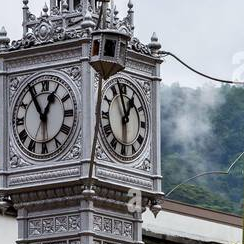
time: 12:57
